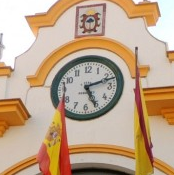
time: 5:11
